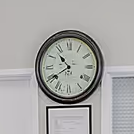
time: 10:39
